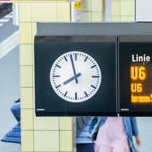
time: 7:57
